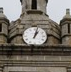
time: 1:02
